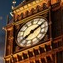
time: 8:11
